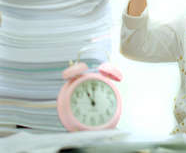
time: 11:00
